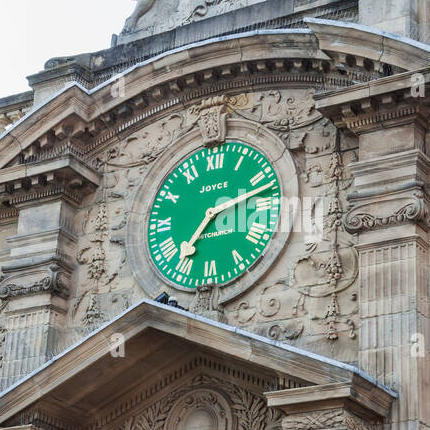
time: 7:12
